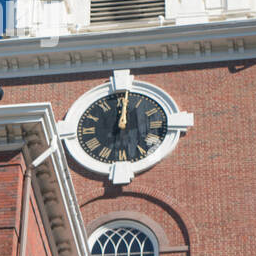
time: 12:00
